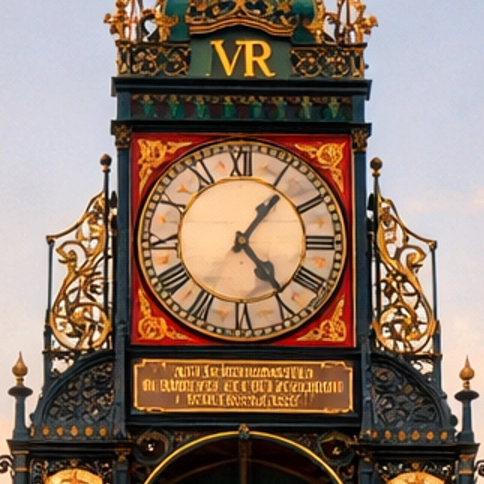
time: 1:23
